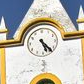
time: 5:23
